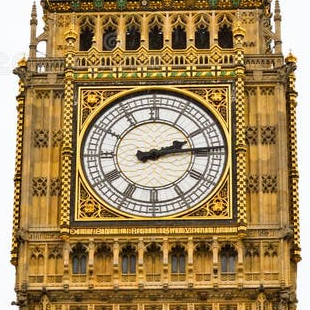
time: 2:14
